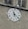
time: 11:21
